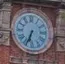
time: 6:34
